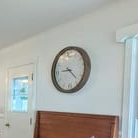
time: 9:22
